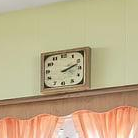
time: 2:11
